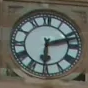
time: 6:12
